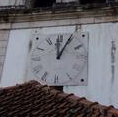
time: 12:05
